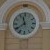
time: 11:39
